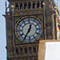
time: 12:35
